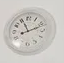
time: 11:11
